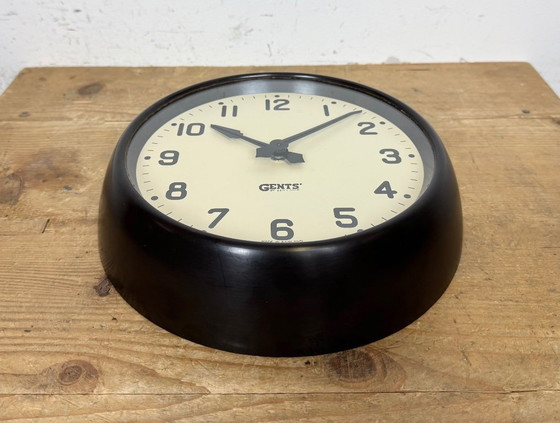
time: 10:07
